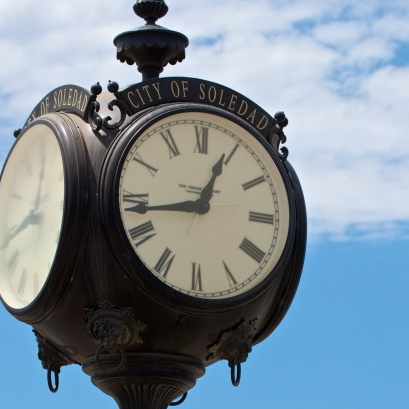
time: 12:43
